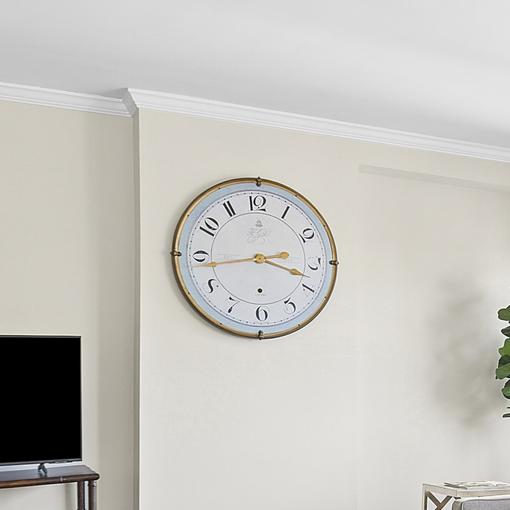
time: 3:43
